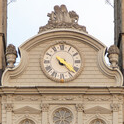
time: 4:22
